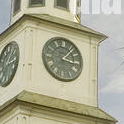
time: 3:06
